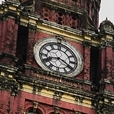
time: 8:20
